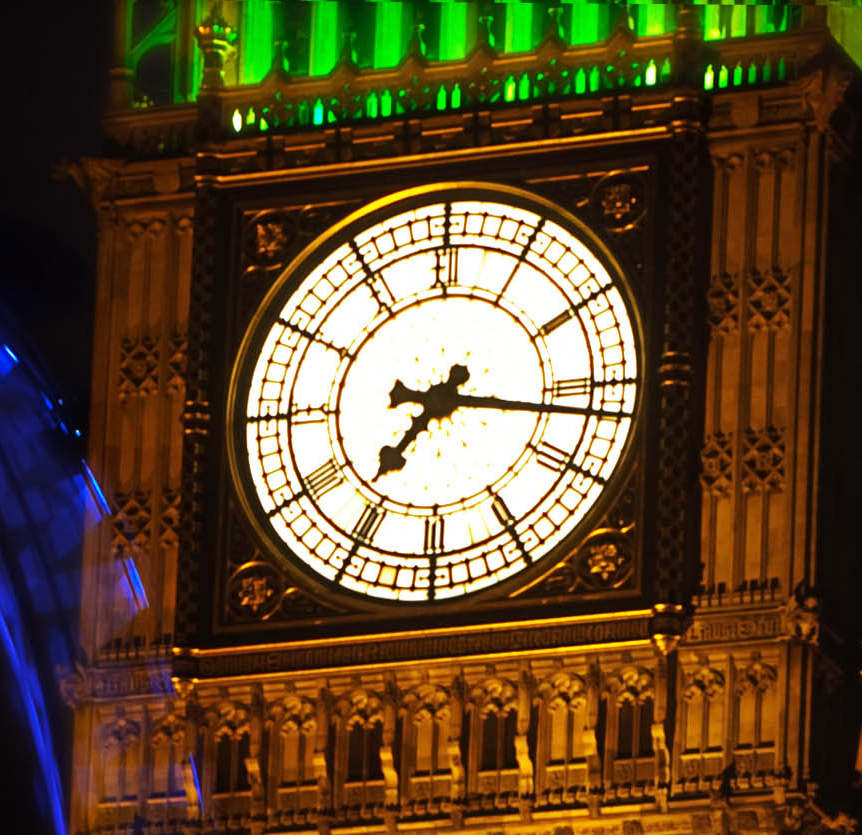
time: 7:16
